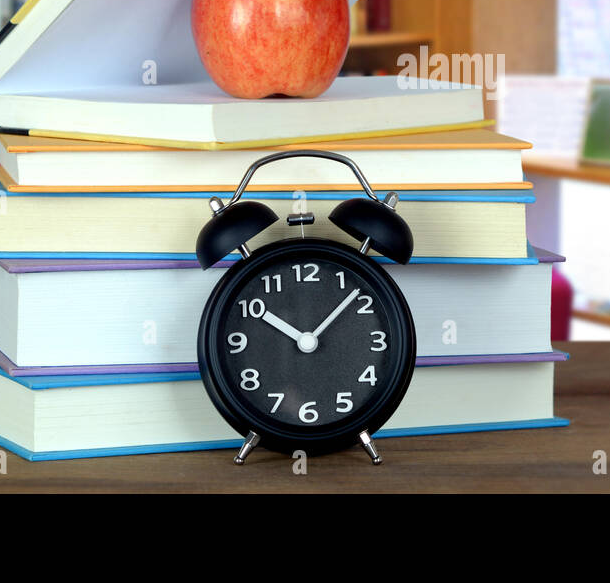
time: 10:07
